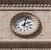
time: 2:02
